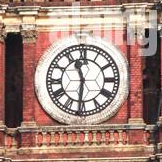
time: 11:31
